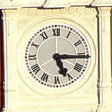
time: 5:15
